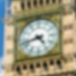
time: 4:42
